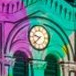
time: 9:38
